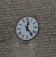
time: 12:23
